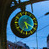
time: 5:19
